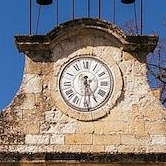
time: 5:30
